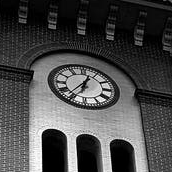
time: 12:36
